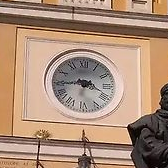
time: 3:43
